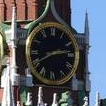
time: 2:40
